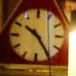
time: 10:24
